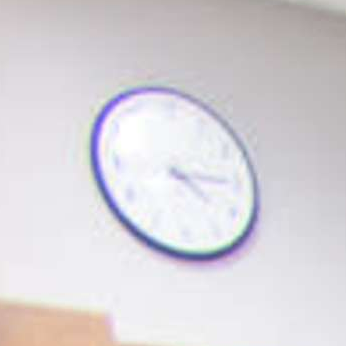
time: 4:14
